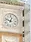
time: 12:48
